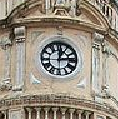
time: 12:13
